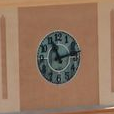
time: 11:12
